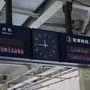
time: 11:45
